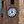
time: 11:37
